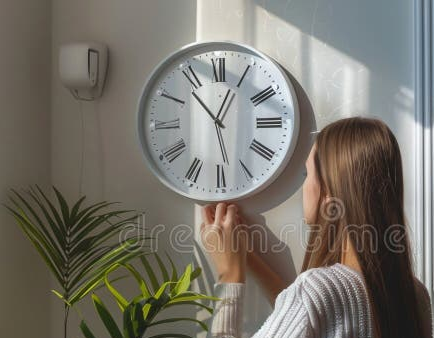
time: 12:53
